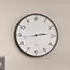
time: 2:43
